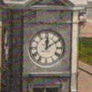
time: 12:09
